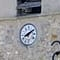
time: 8:09
